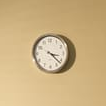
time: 3:21
